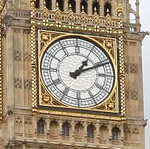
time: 1:11
